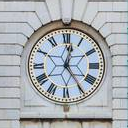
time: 12:24
